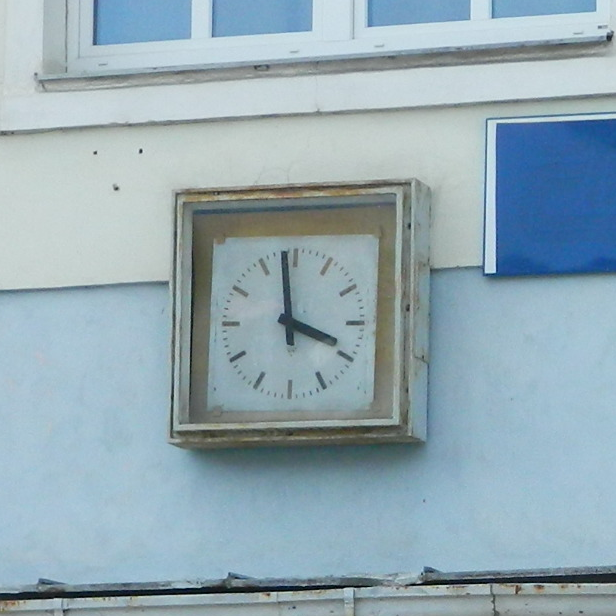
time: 3:58
